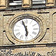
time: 5:57
